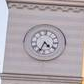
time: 4:33
